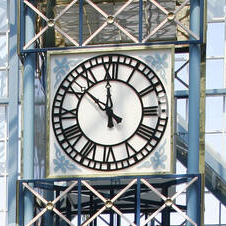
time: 11:51
